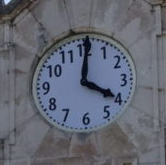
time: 4:00
